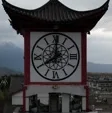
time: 8:00
